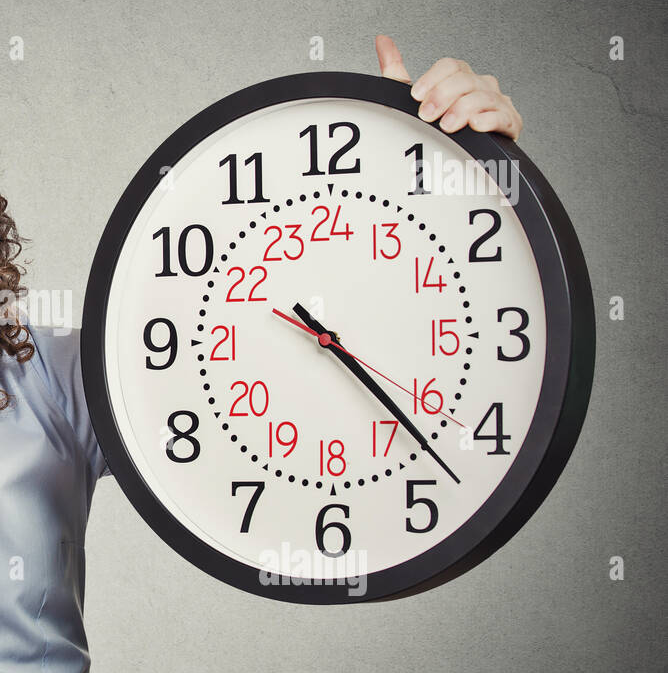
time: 4:22
